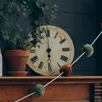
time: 6:00
